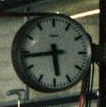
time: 5:43
